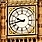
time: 9:42
